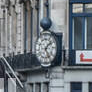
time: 1:24
